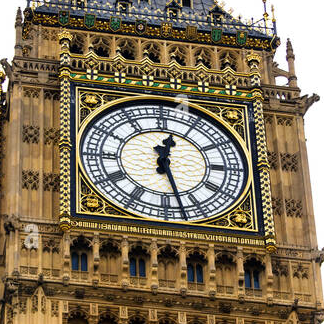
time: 12:27
